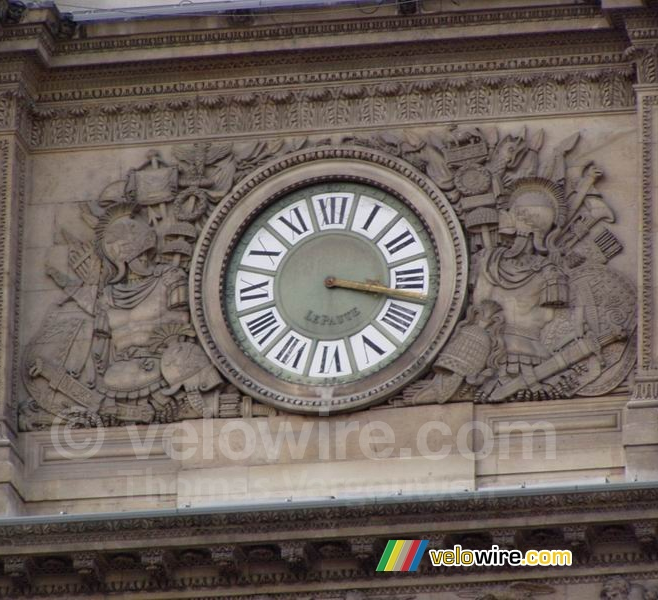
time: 3:17
